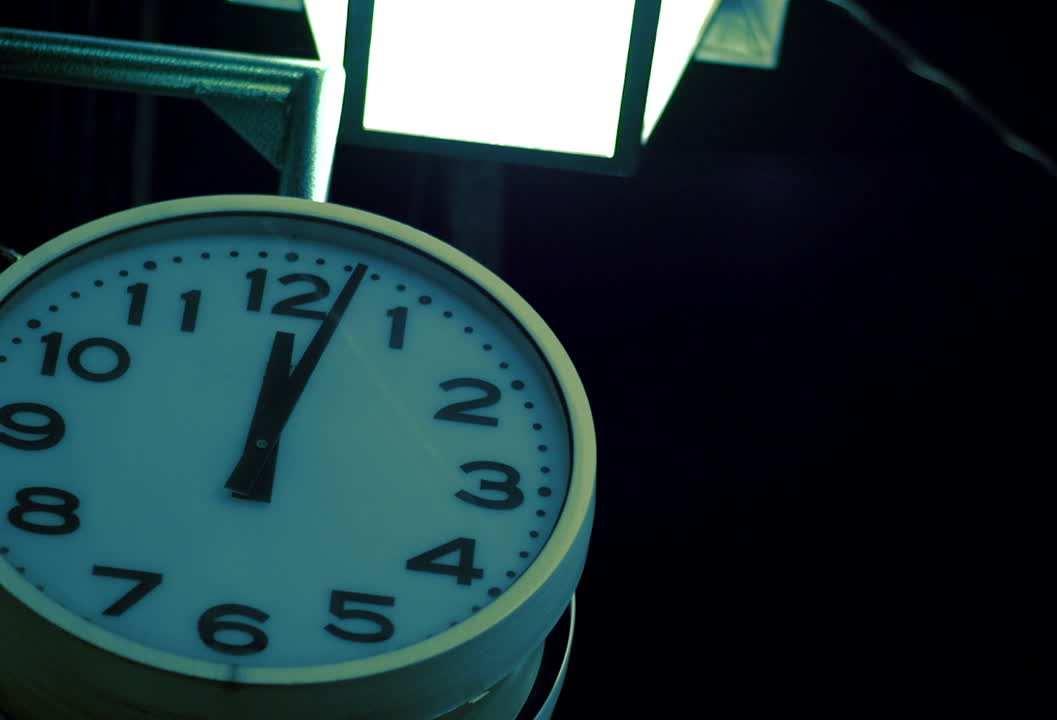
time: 12:02
